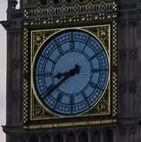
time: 8:38
